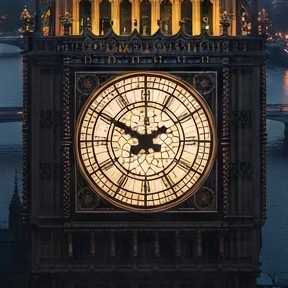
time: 1:50
